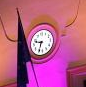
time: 9:33
